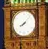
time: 8:07
